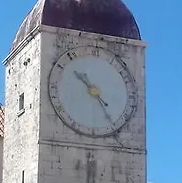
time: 10:24
